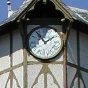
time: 1:53
